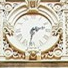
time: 2:31
